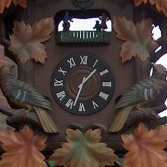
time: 1:33
